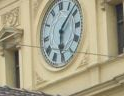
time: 6:07
